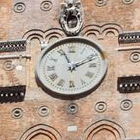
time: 11:11
